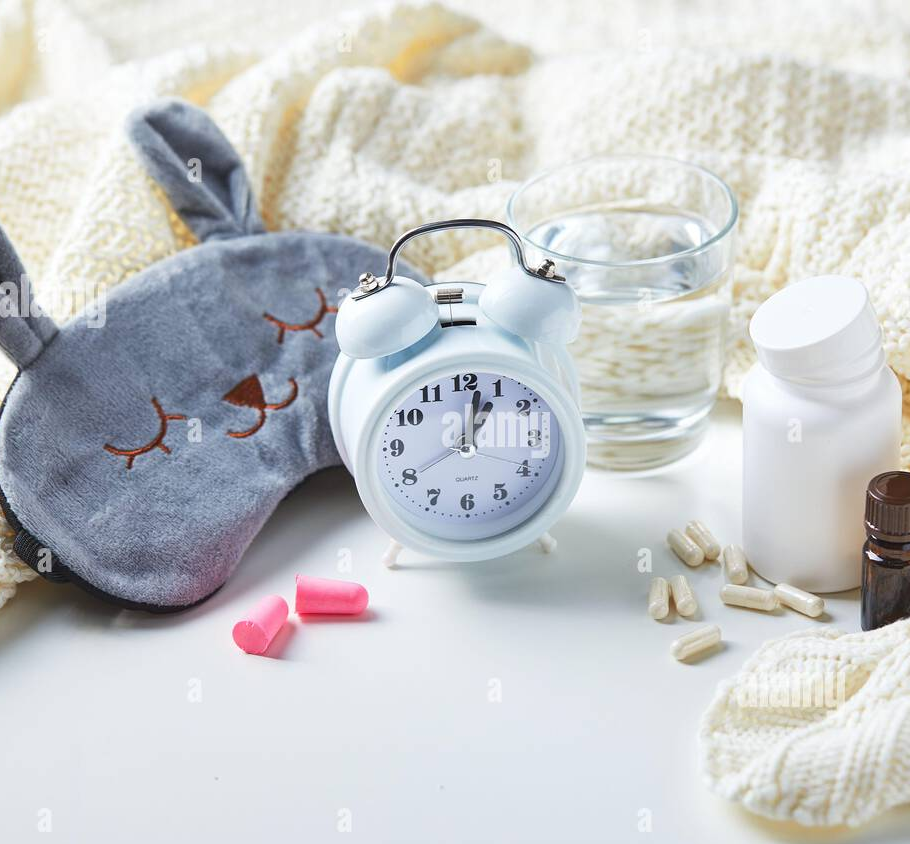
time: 1:01
